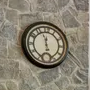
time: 11:56
